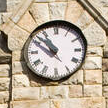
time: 10:51
